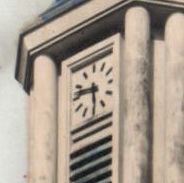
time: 9:29
